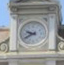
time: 9:40
